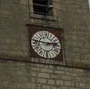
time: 2:46
